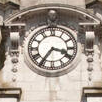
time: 3:35
